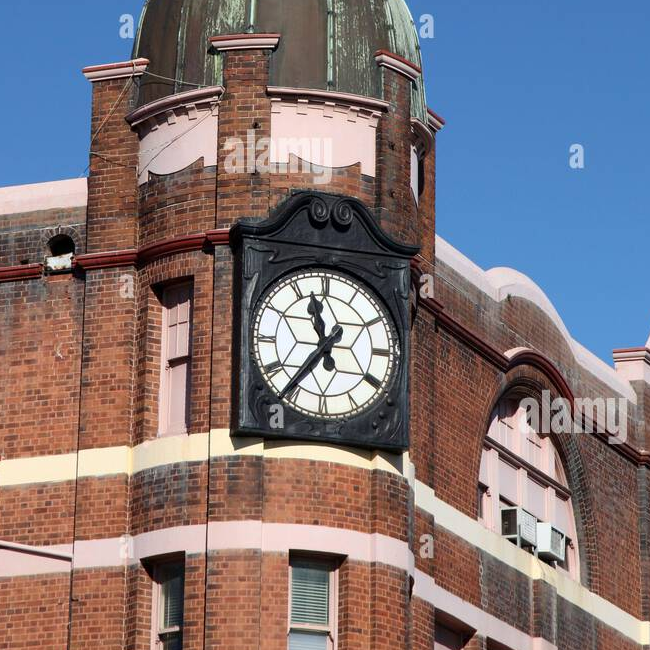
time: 11:36
